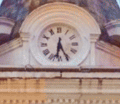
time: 6:25
